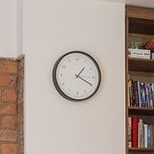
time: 1:19
